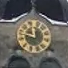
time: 11:46
